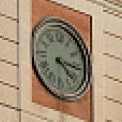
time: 4:15
